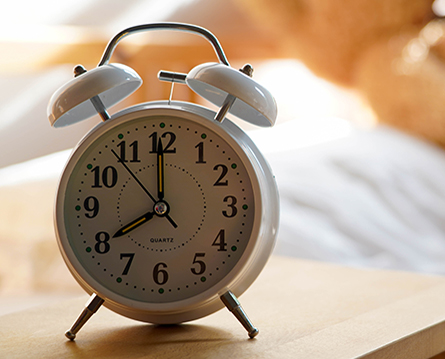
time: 7:59
